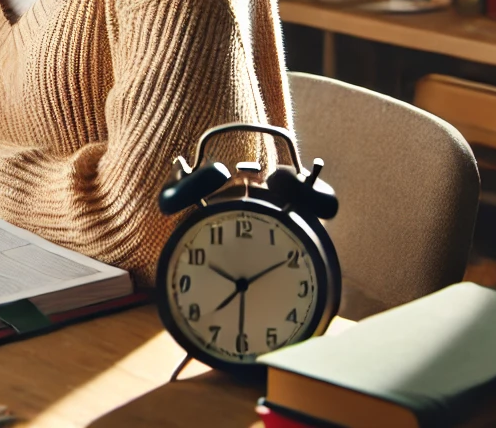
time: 10:09
